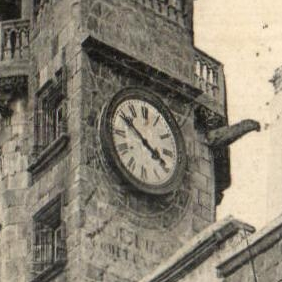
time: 3:50
